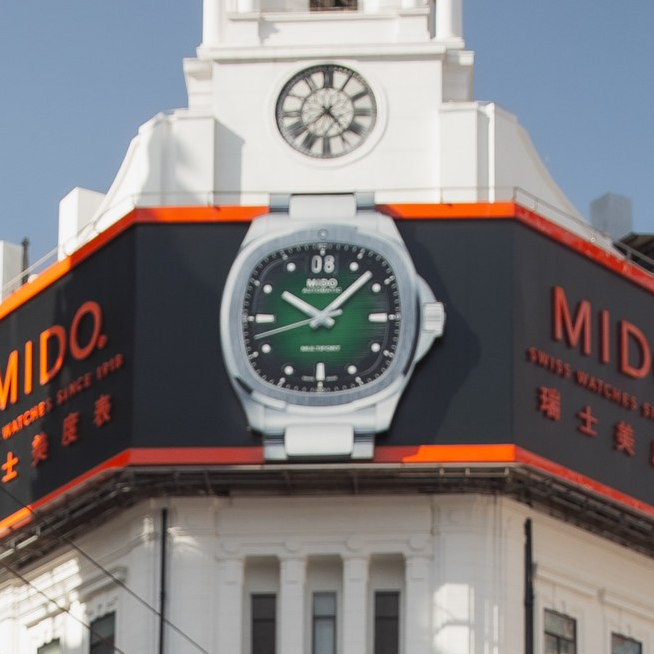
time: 10:07
